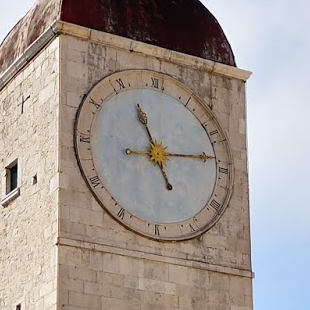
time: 11:13
